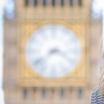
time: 3:38
